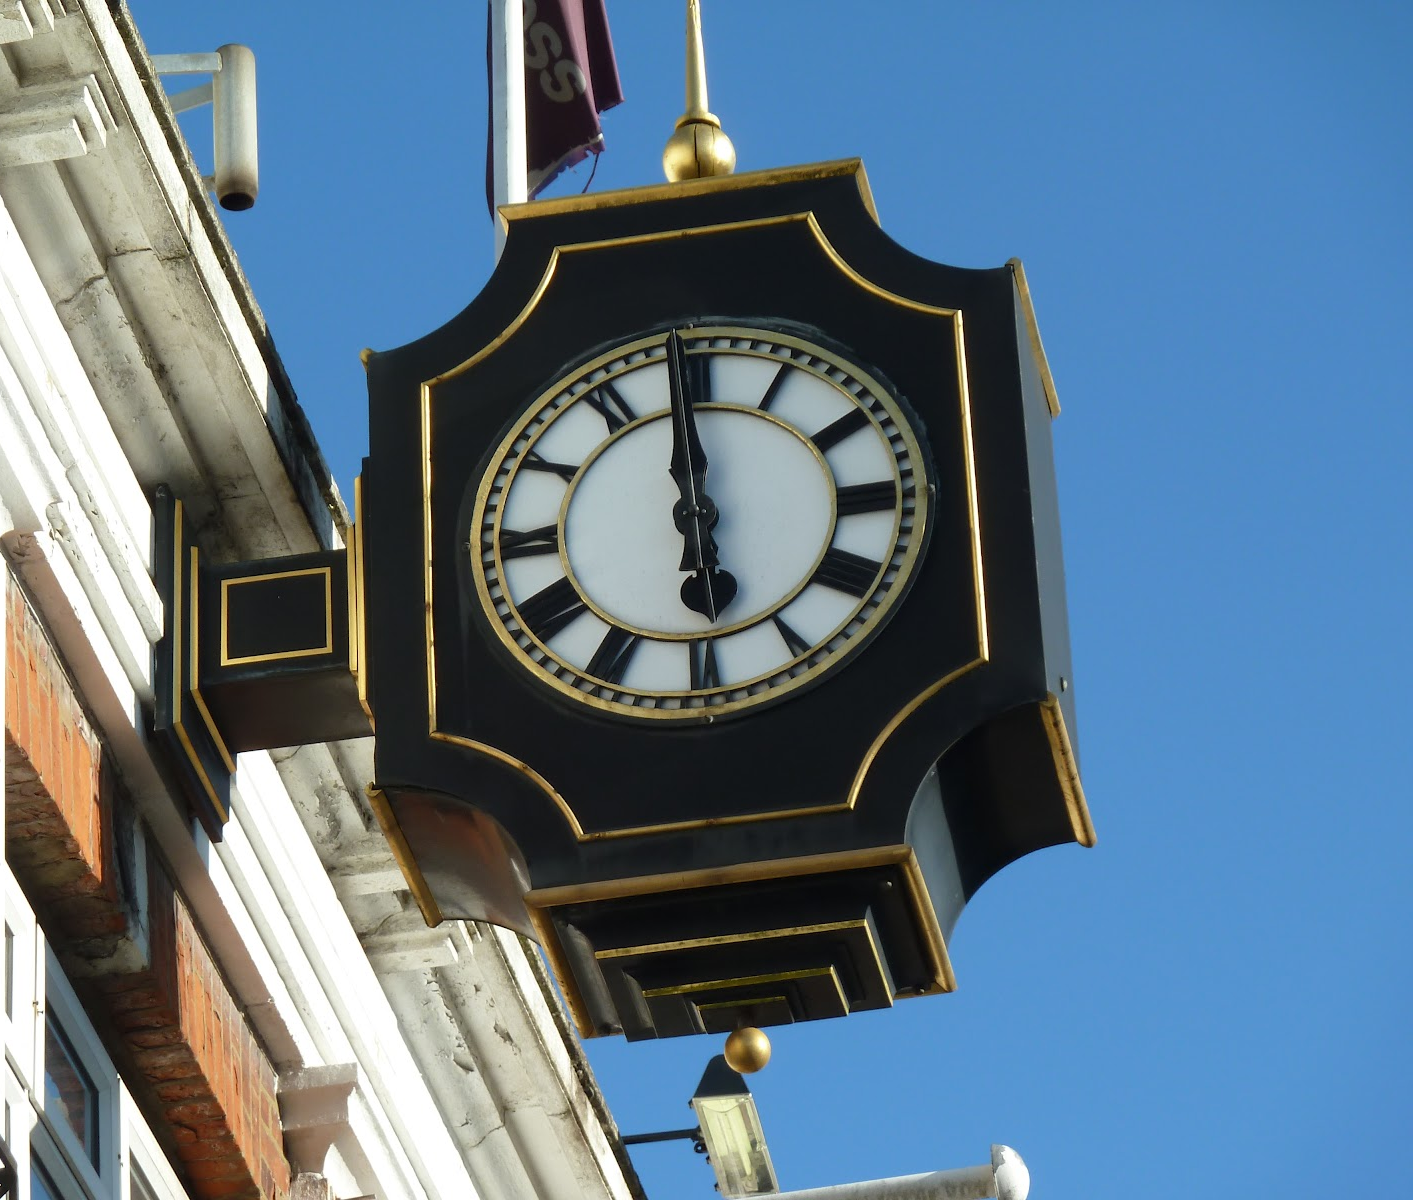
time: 5:59
